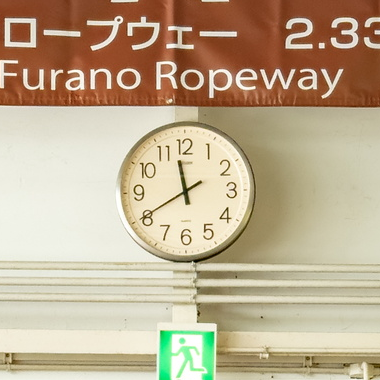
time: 11:40
